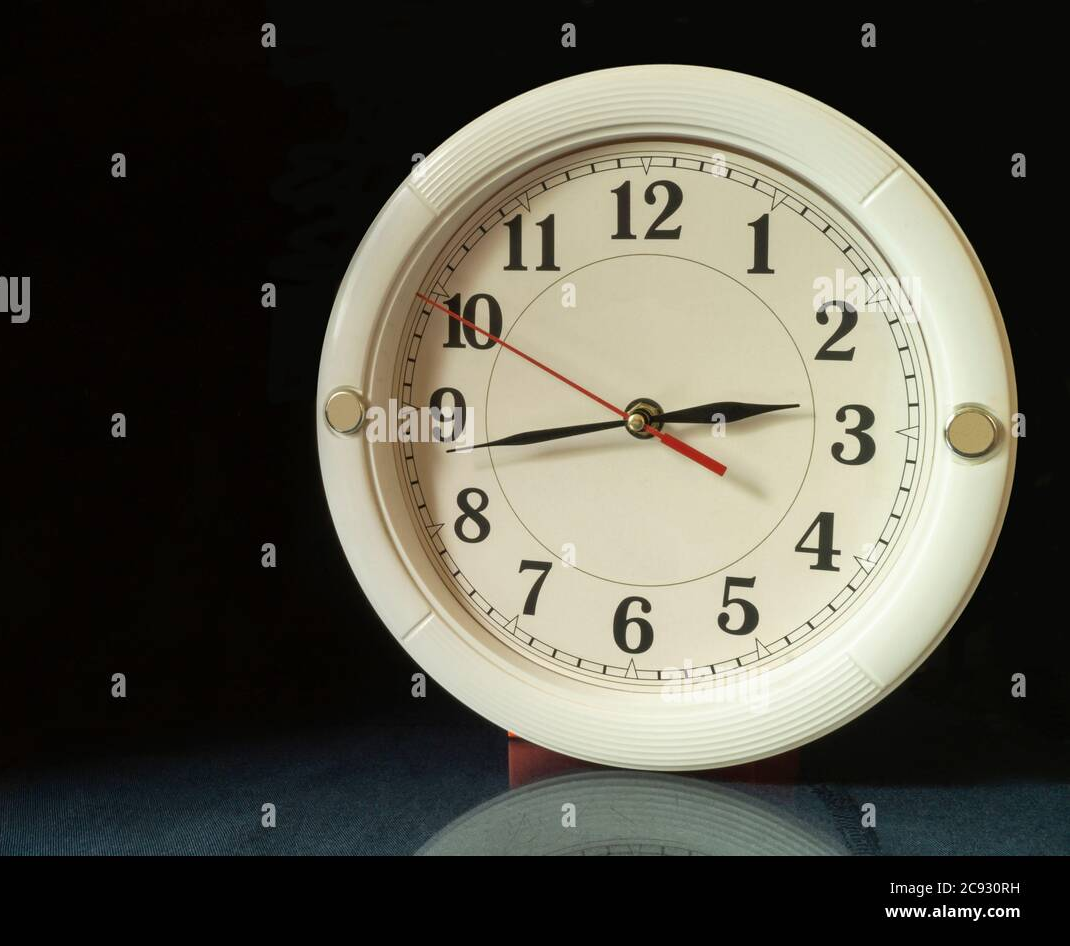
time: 2:43
